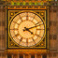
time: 4:11
